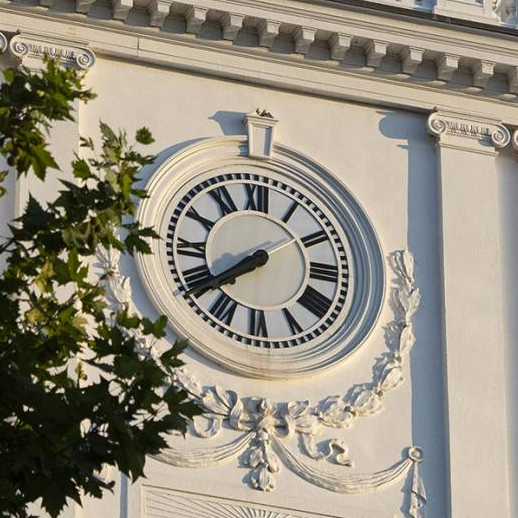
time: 7:38
